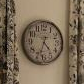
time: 4:33
